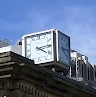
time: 4:13
